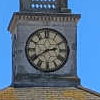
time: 2:40
